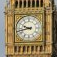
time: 9:43
